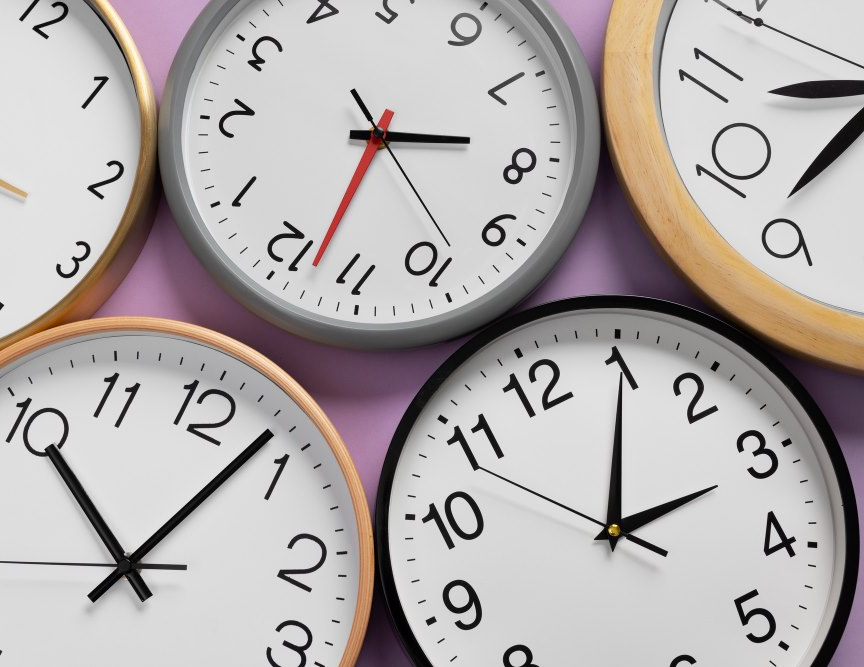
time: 3:05
